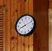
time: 8:11
